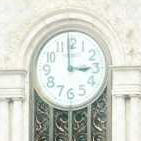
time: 2:59
